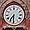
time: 7:30
